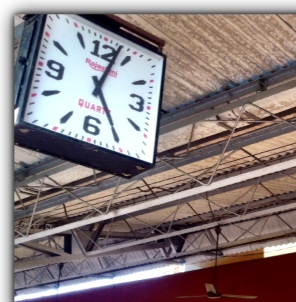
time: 5:02
